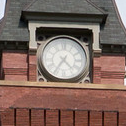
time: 4:35
